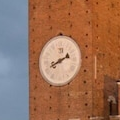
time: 8:11
